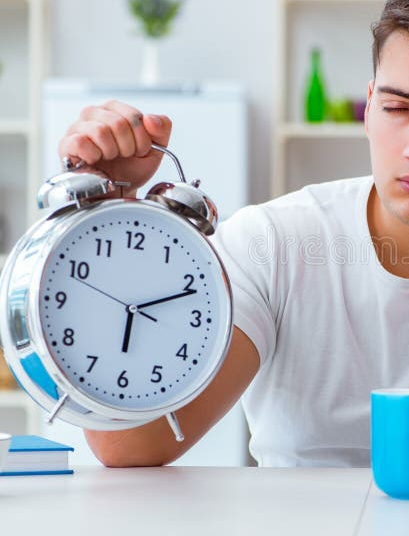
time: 6:11
